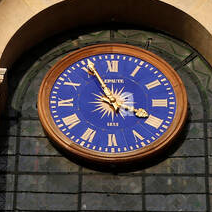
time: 3:55
